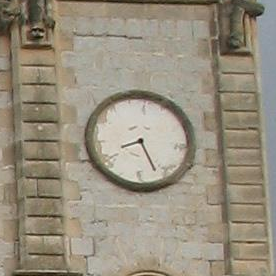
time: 8:26
